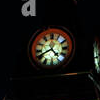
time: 4:40
